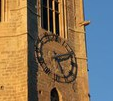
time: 5:11
